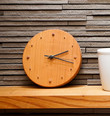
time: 2:17
